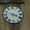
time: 3:47
